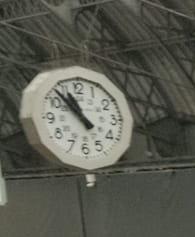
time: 10:53
